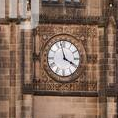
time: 3:57
